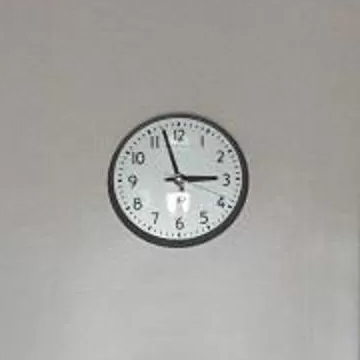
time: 2:57
